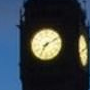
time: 7:10
